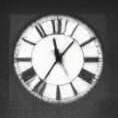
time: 11:35
